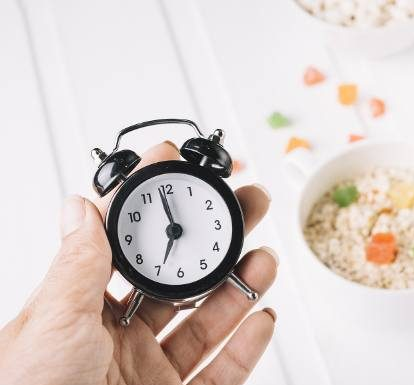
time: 6:58
